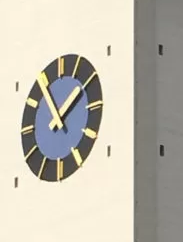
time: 1:54
